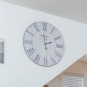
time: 1:59
